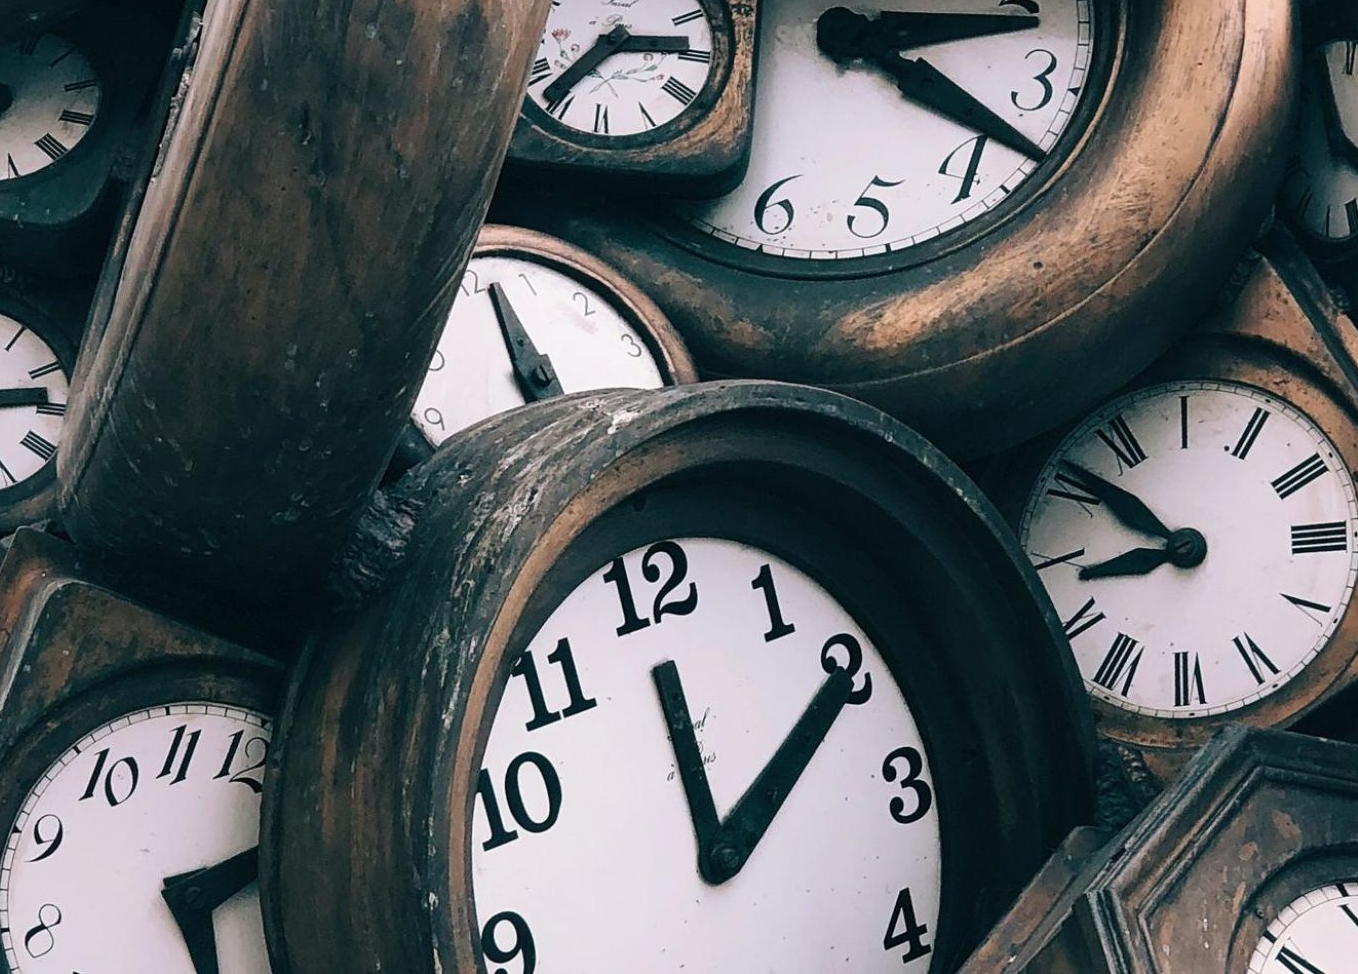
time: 12:09
